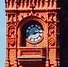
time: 2:42
